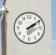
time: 2:09
